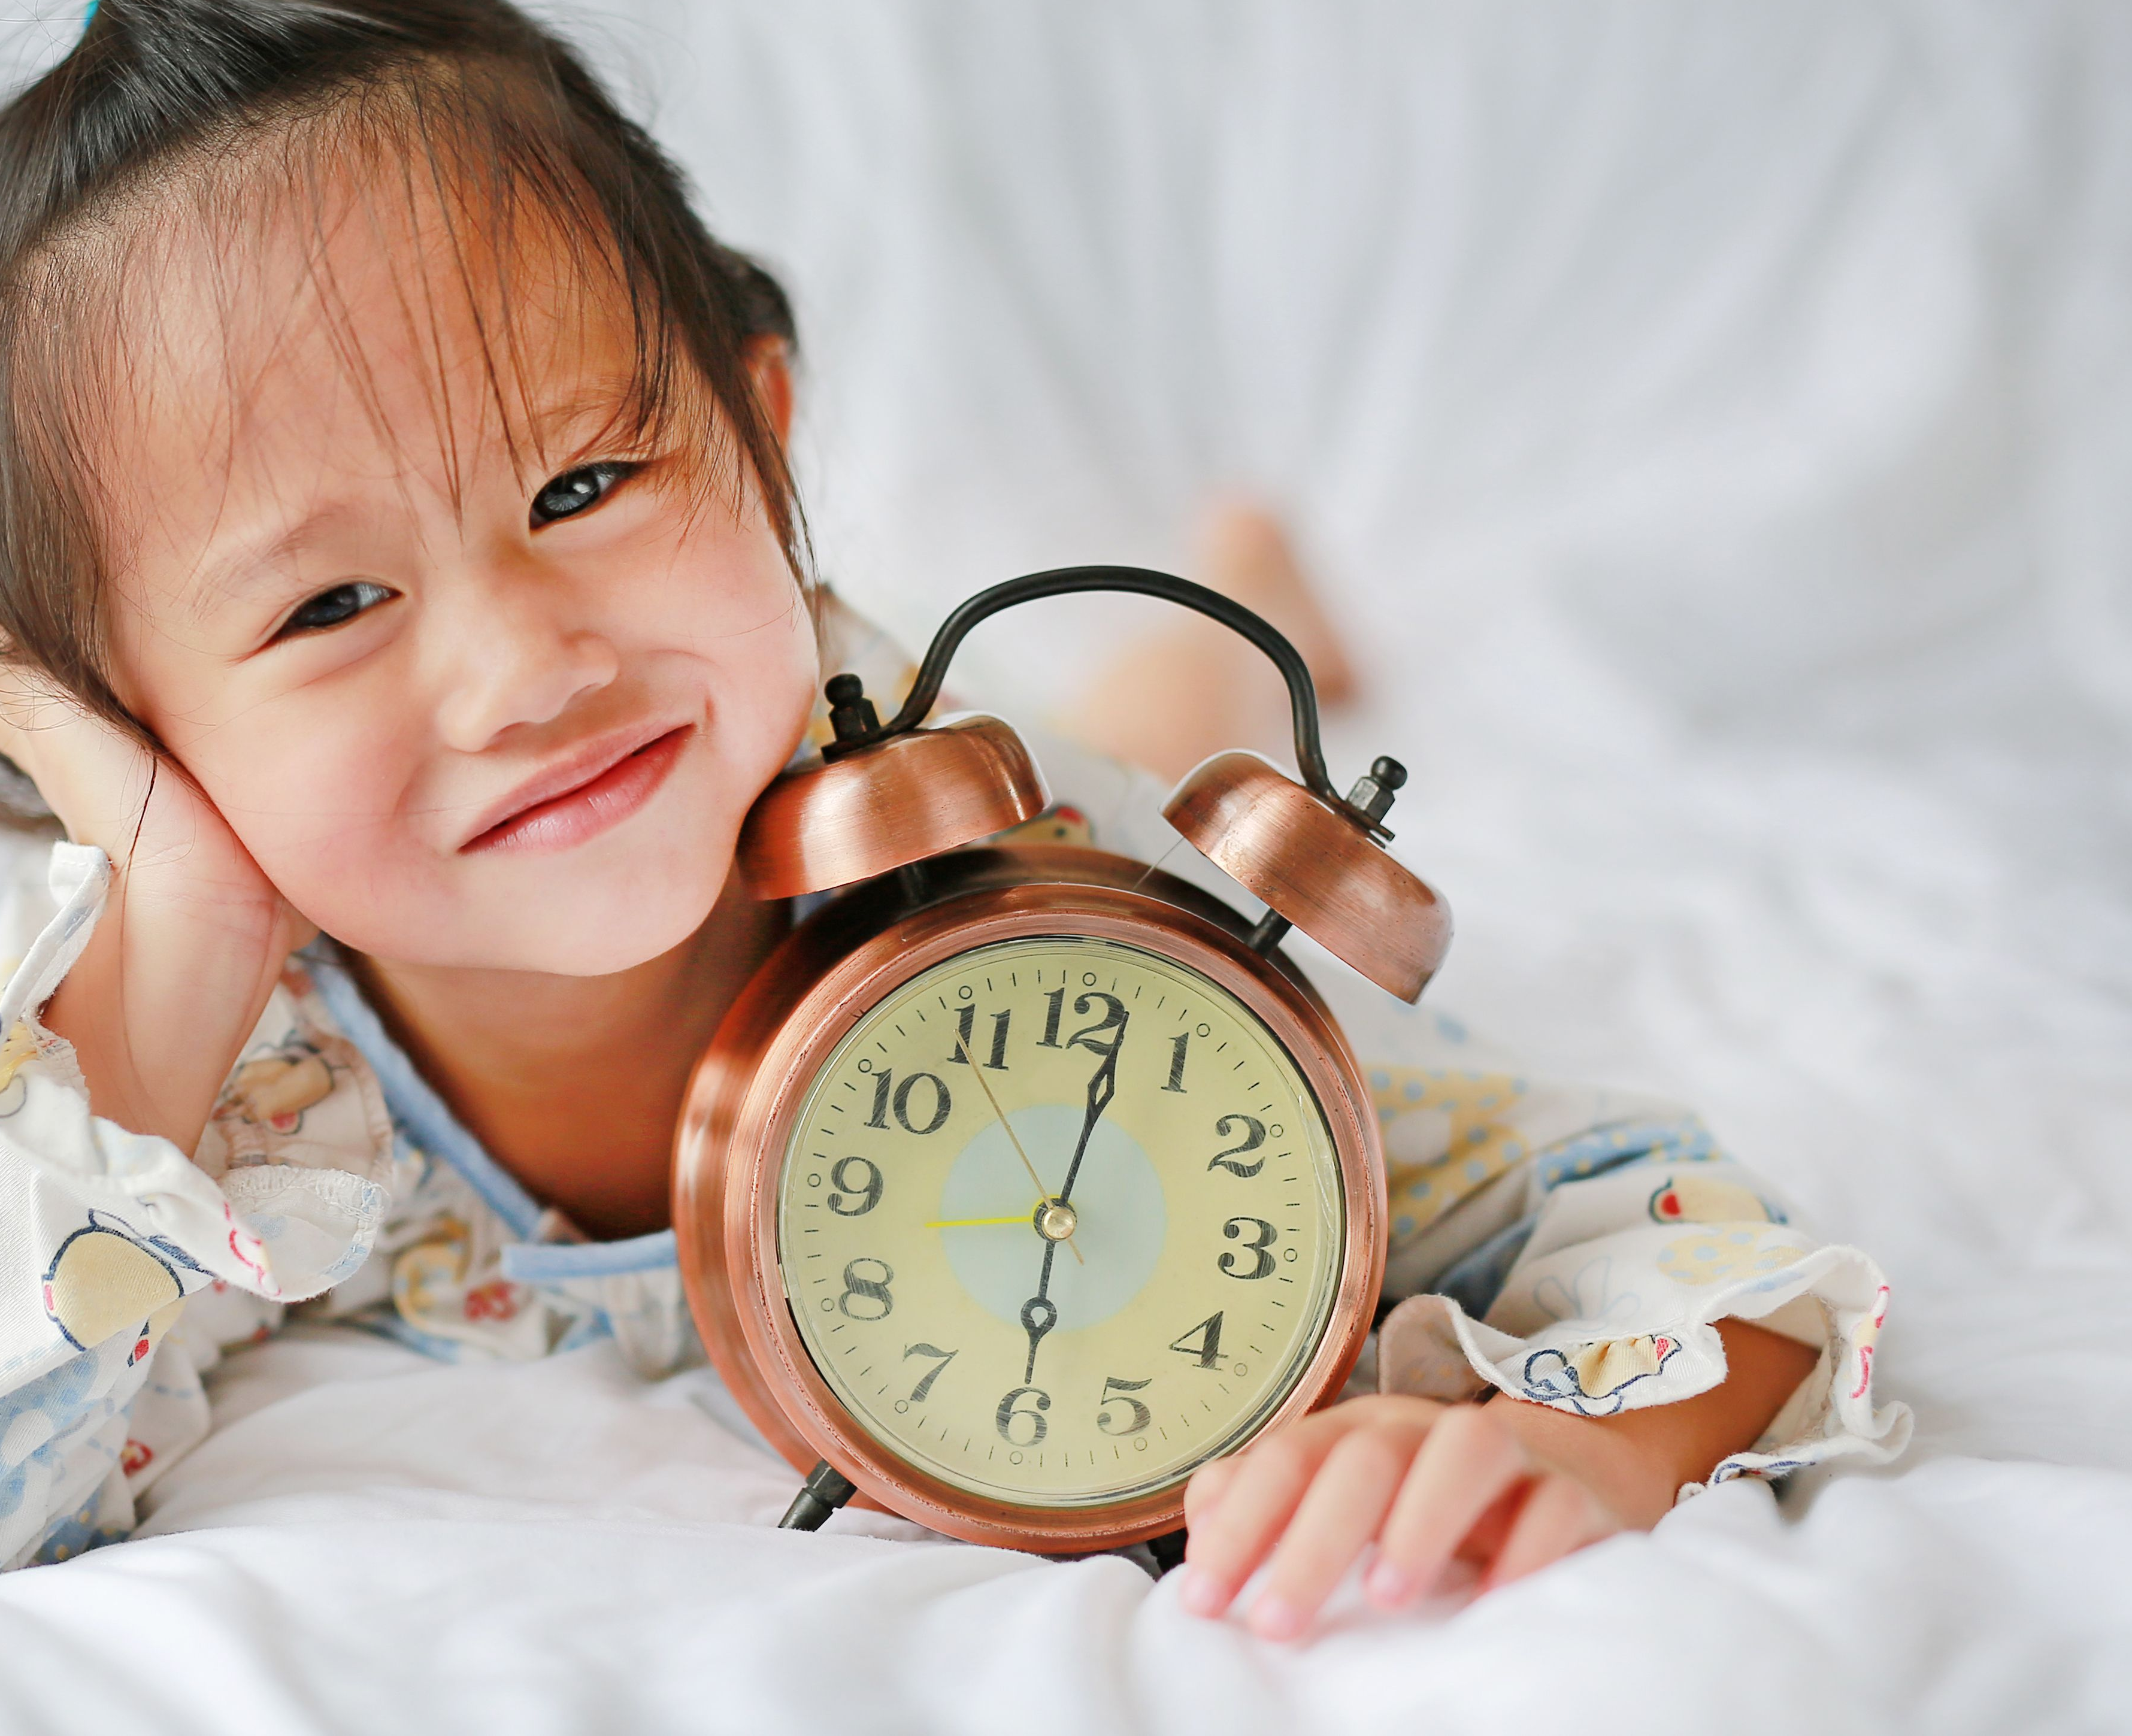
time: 6:01
